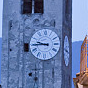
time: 9:44
